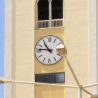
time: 10:46
